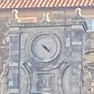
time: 4:22
